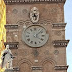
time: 4:07
